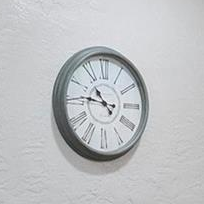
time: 10:46
